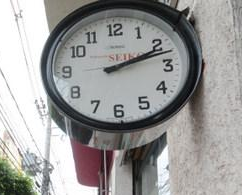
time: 2:12
